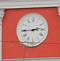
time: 2:44
